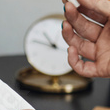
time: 10:46
